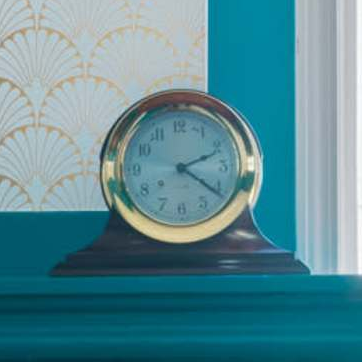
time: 2:21
